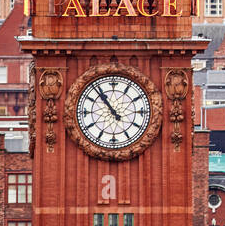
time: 10:53
